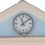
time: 11:08
